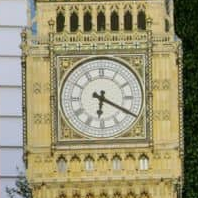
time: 6:20
